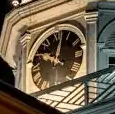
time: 10:02
